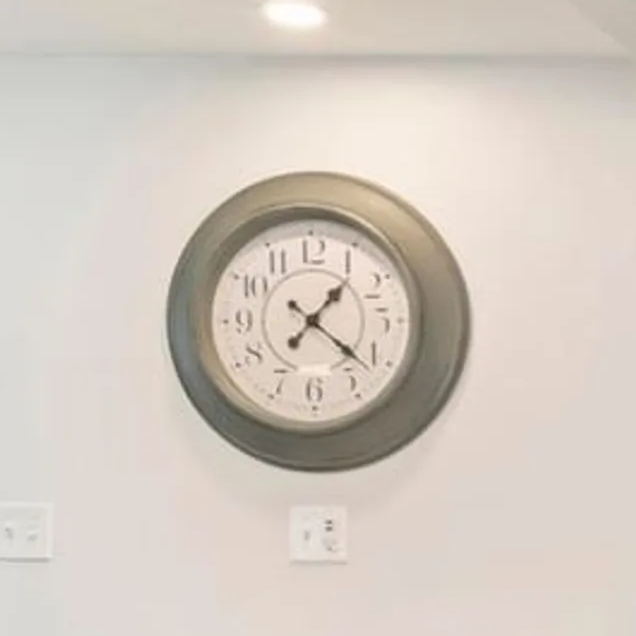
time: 1:21
